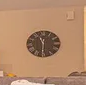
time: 11:30
